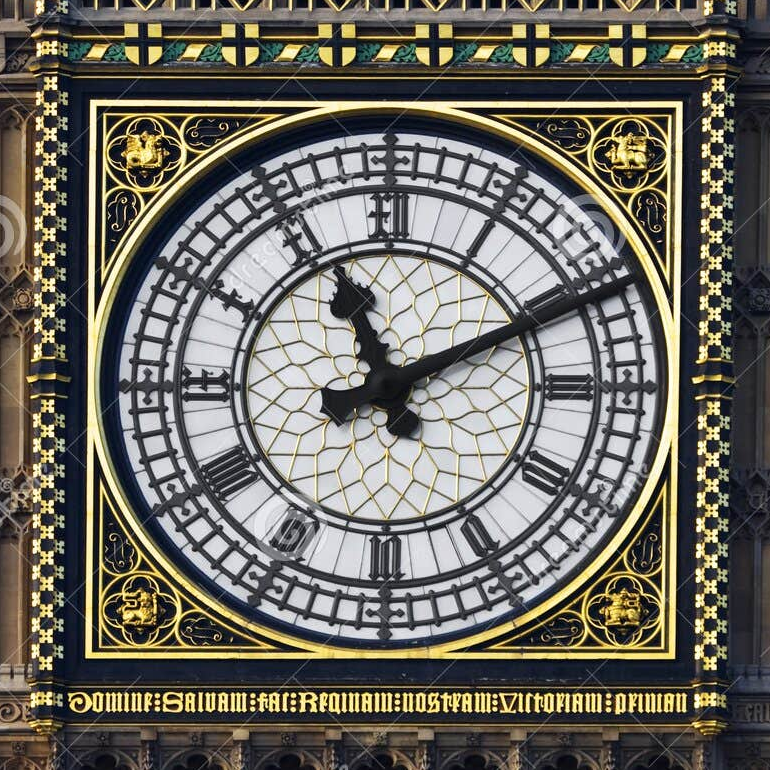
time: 11:10
